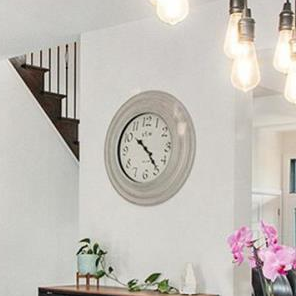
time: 10:23
